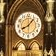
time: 8:07
